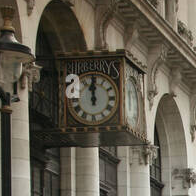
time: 12:00
